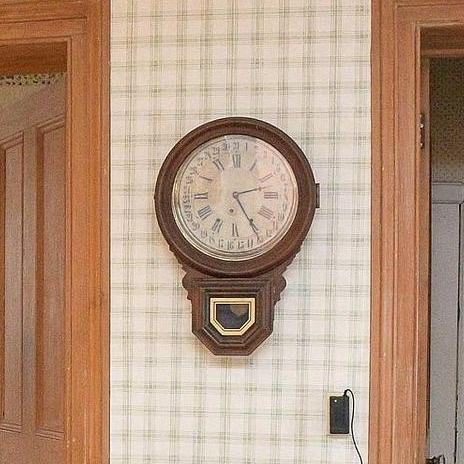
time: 2:24
